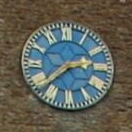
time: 2:38
